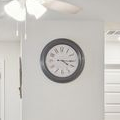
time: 4:15
